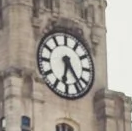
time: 6:23
